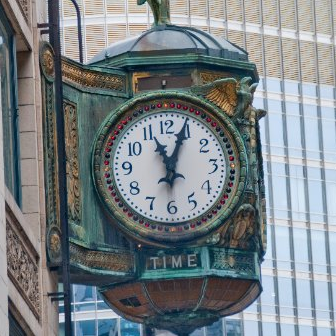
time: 11:03
